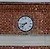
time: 8:38
